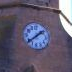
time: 1:38
